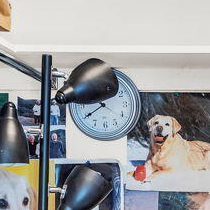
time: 8:40
